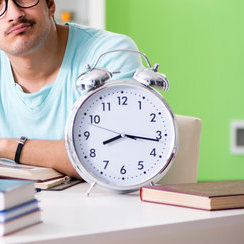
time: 8:16
